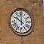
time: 10:00
